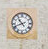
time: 10:41
